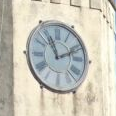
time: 11:11
